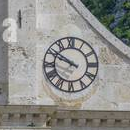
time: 9:50
